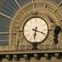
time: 6:18
